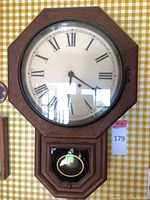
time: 4:20
